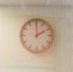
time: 1:59
